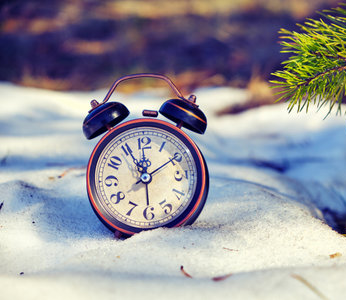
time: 11:55
